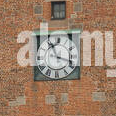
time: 11:18
